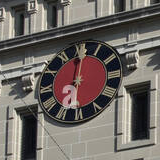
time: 6:00
